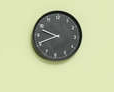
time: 9:41
